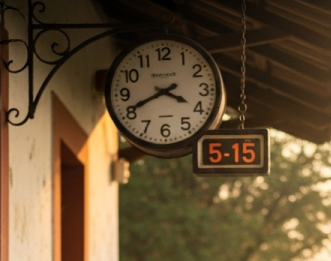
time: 3:40
